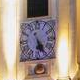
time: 5:24
